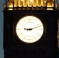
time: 9:12
